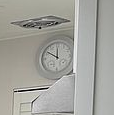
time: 11:50
